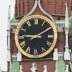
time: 9:10
